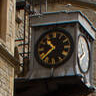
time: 10:37
